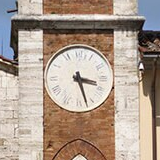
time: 3:27
